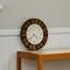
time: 4:37
